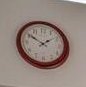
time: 1:50
